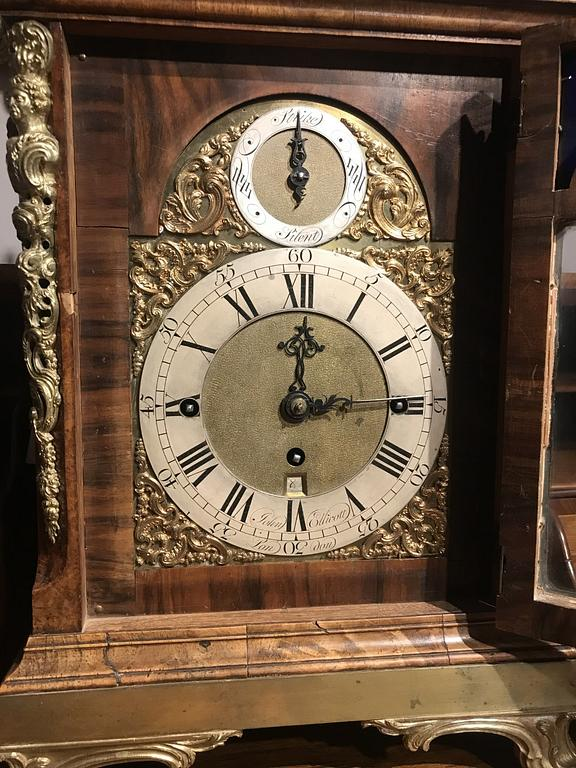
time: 12:14
